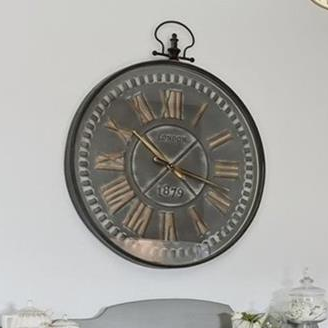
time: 10:19
